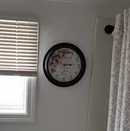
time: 2:48
